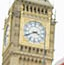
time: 3:40
